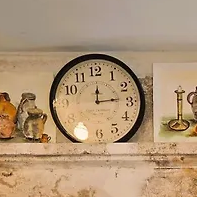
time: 12:14
